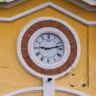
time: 9:12
